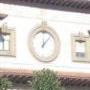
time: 12:06
